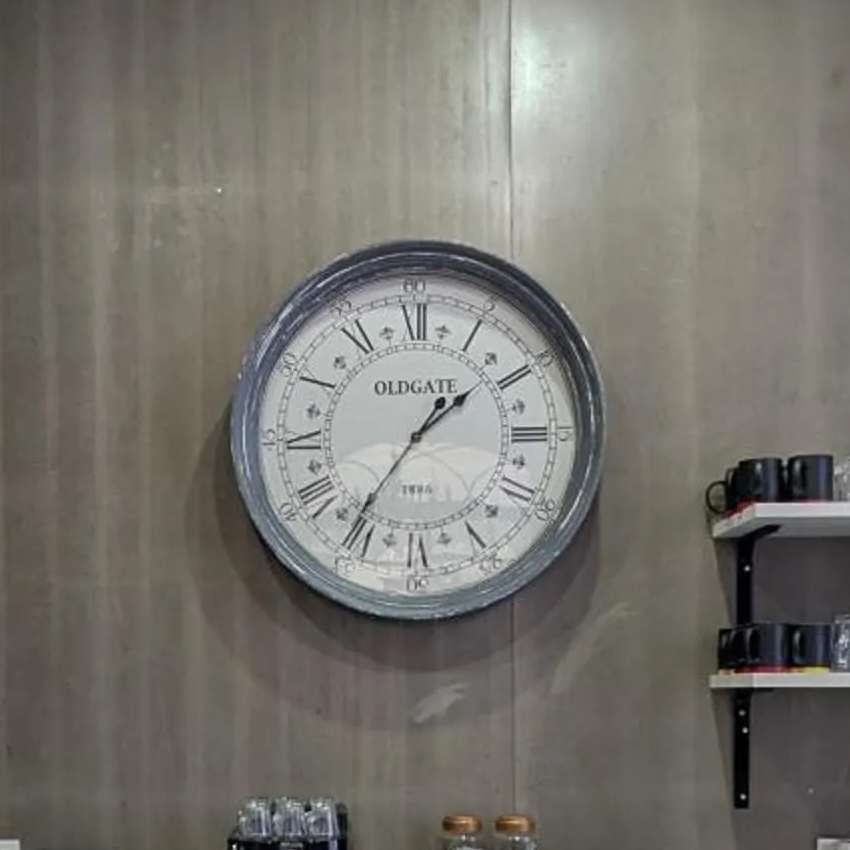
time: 1:36
